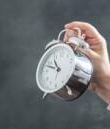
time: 10:48
